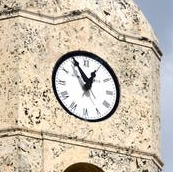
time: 12:55
